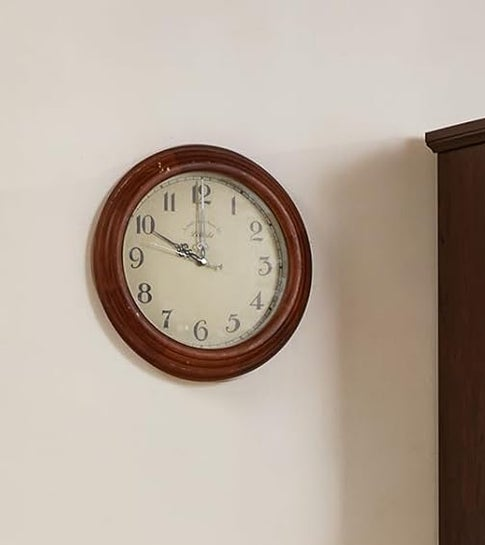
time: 9:59
